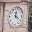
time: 12:20
